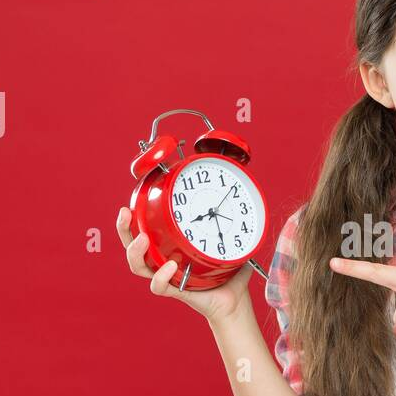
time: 8:28
